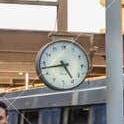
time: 4:43
